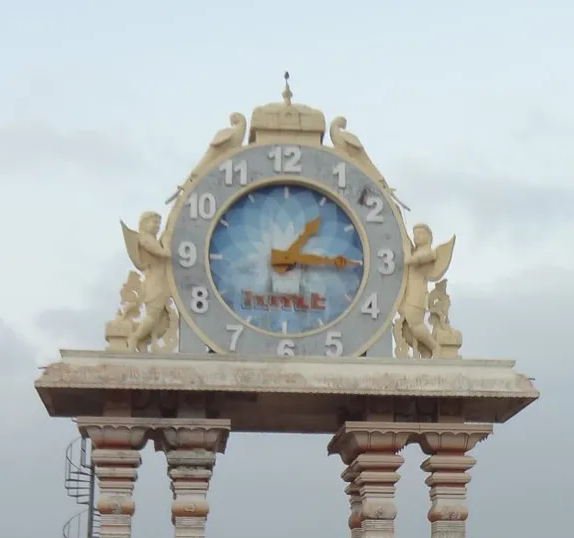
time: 1:15
